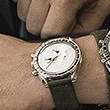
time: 8:36
